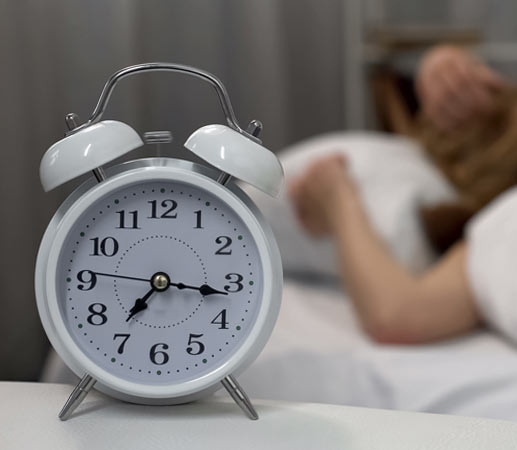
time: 7:16
